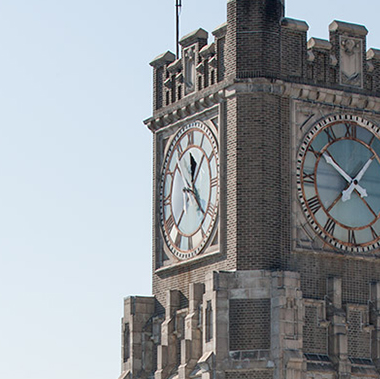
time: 12:23
